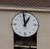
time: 12:58
